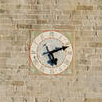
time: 5:11
